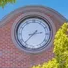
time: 2:37
